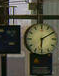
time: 6:10
